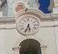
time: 5:33
